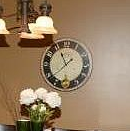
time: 1:38
